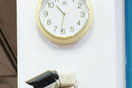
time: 10:31
